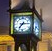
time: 7:15
